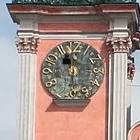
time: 11:31
